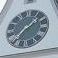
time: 7:07
